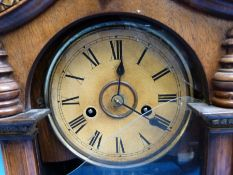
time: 4:01
